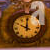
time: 10:00
